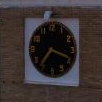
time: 7:18
